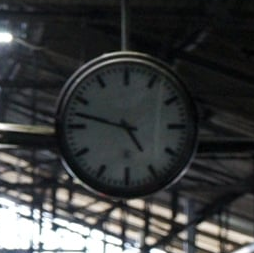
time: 4:47
